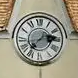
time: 2:36
